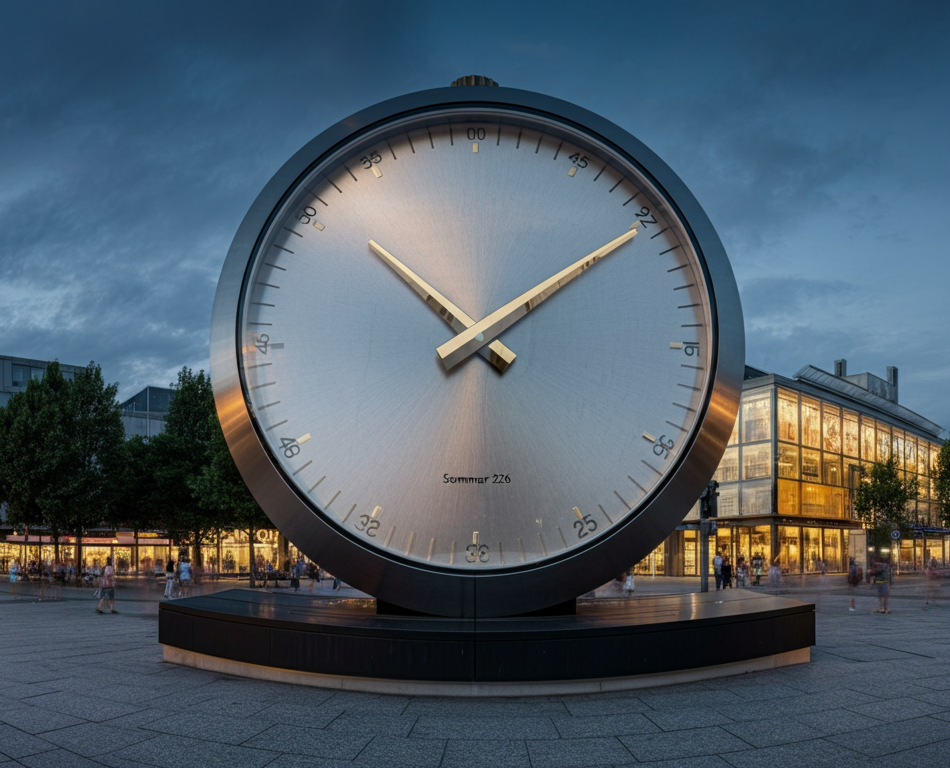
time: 10:09
